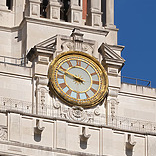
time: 9:47
